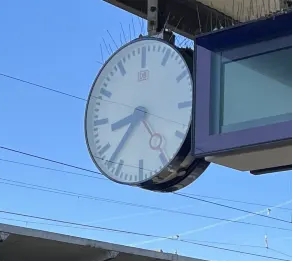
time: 8:36
